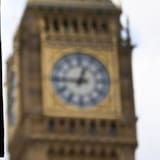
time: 12:45
